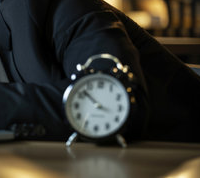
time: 3:52
